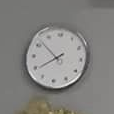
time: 7:51
